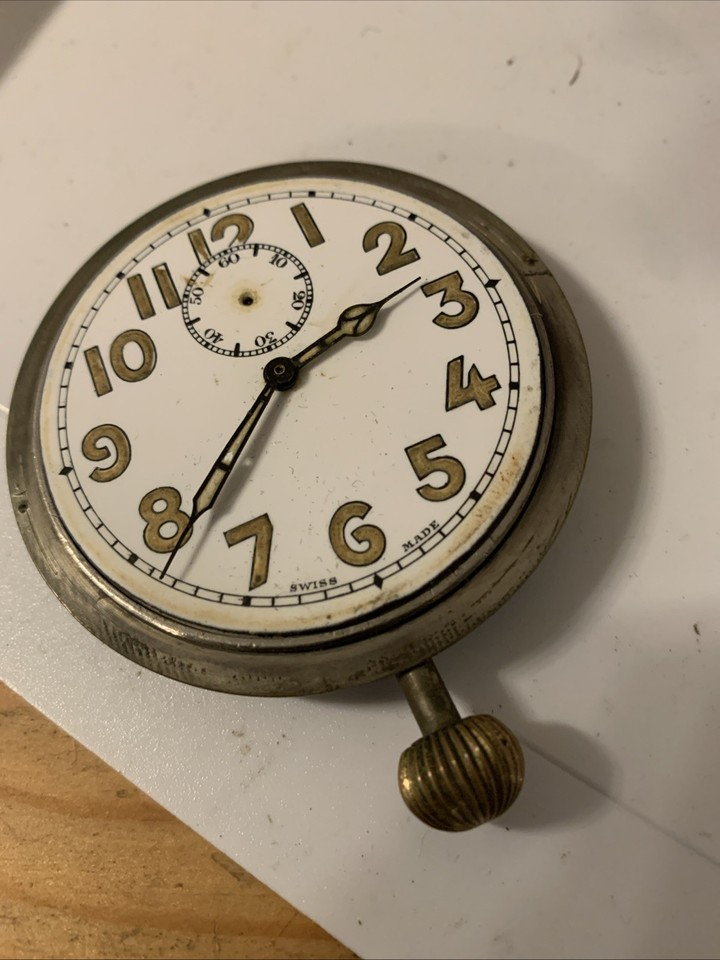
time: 1:34
